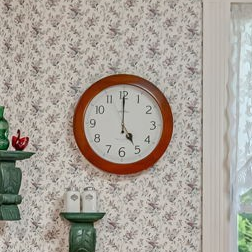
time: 5:00
